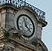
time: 11:21
